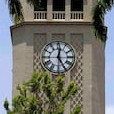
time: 12:24
